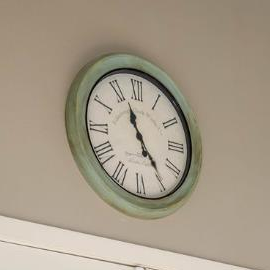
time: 11:24
